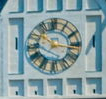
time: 10:15
